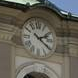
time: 2:21
